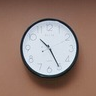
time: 10:25
